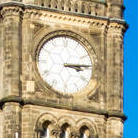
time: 3:14
